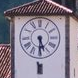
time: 5:30
